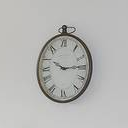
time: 10:14
